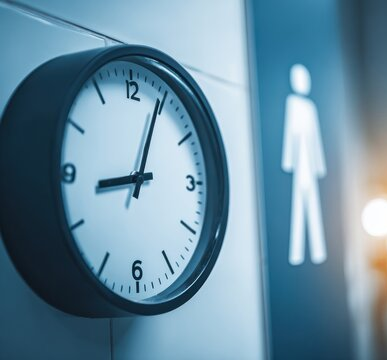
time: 9:04
